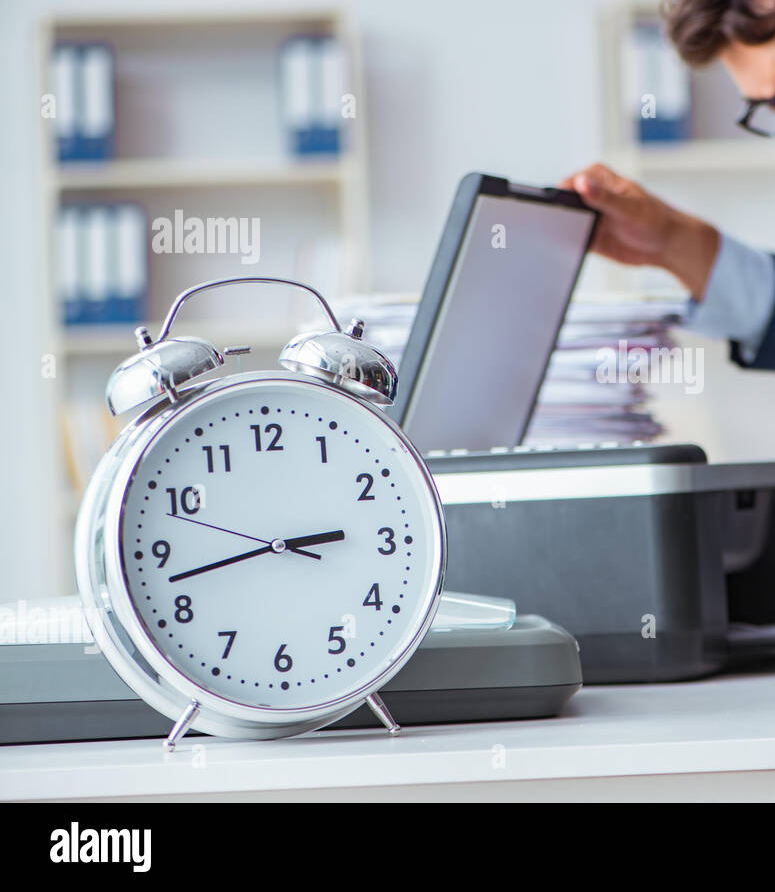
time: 2:42
